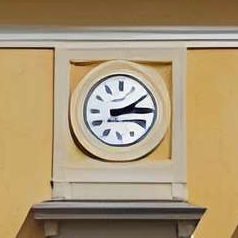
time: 3:09
